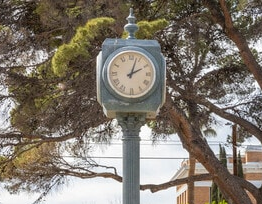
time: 2:02
